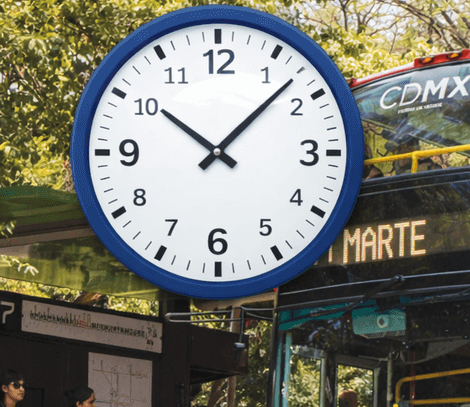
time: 10:07
